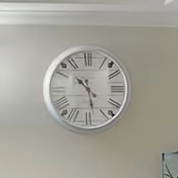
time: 10:28
